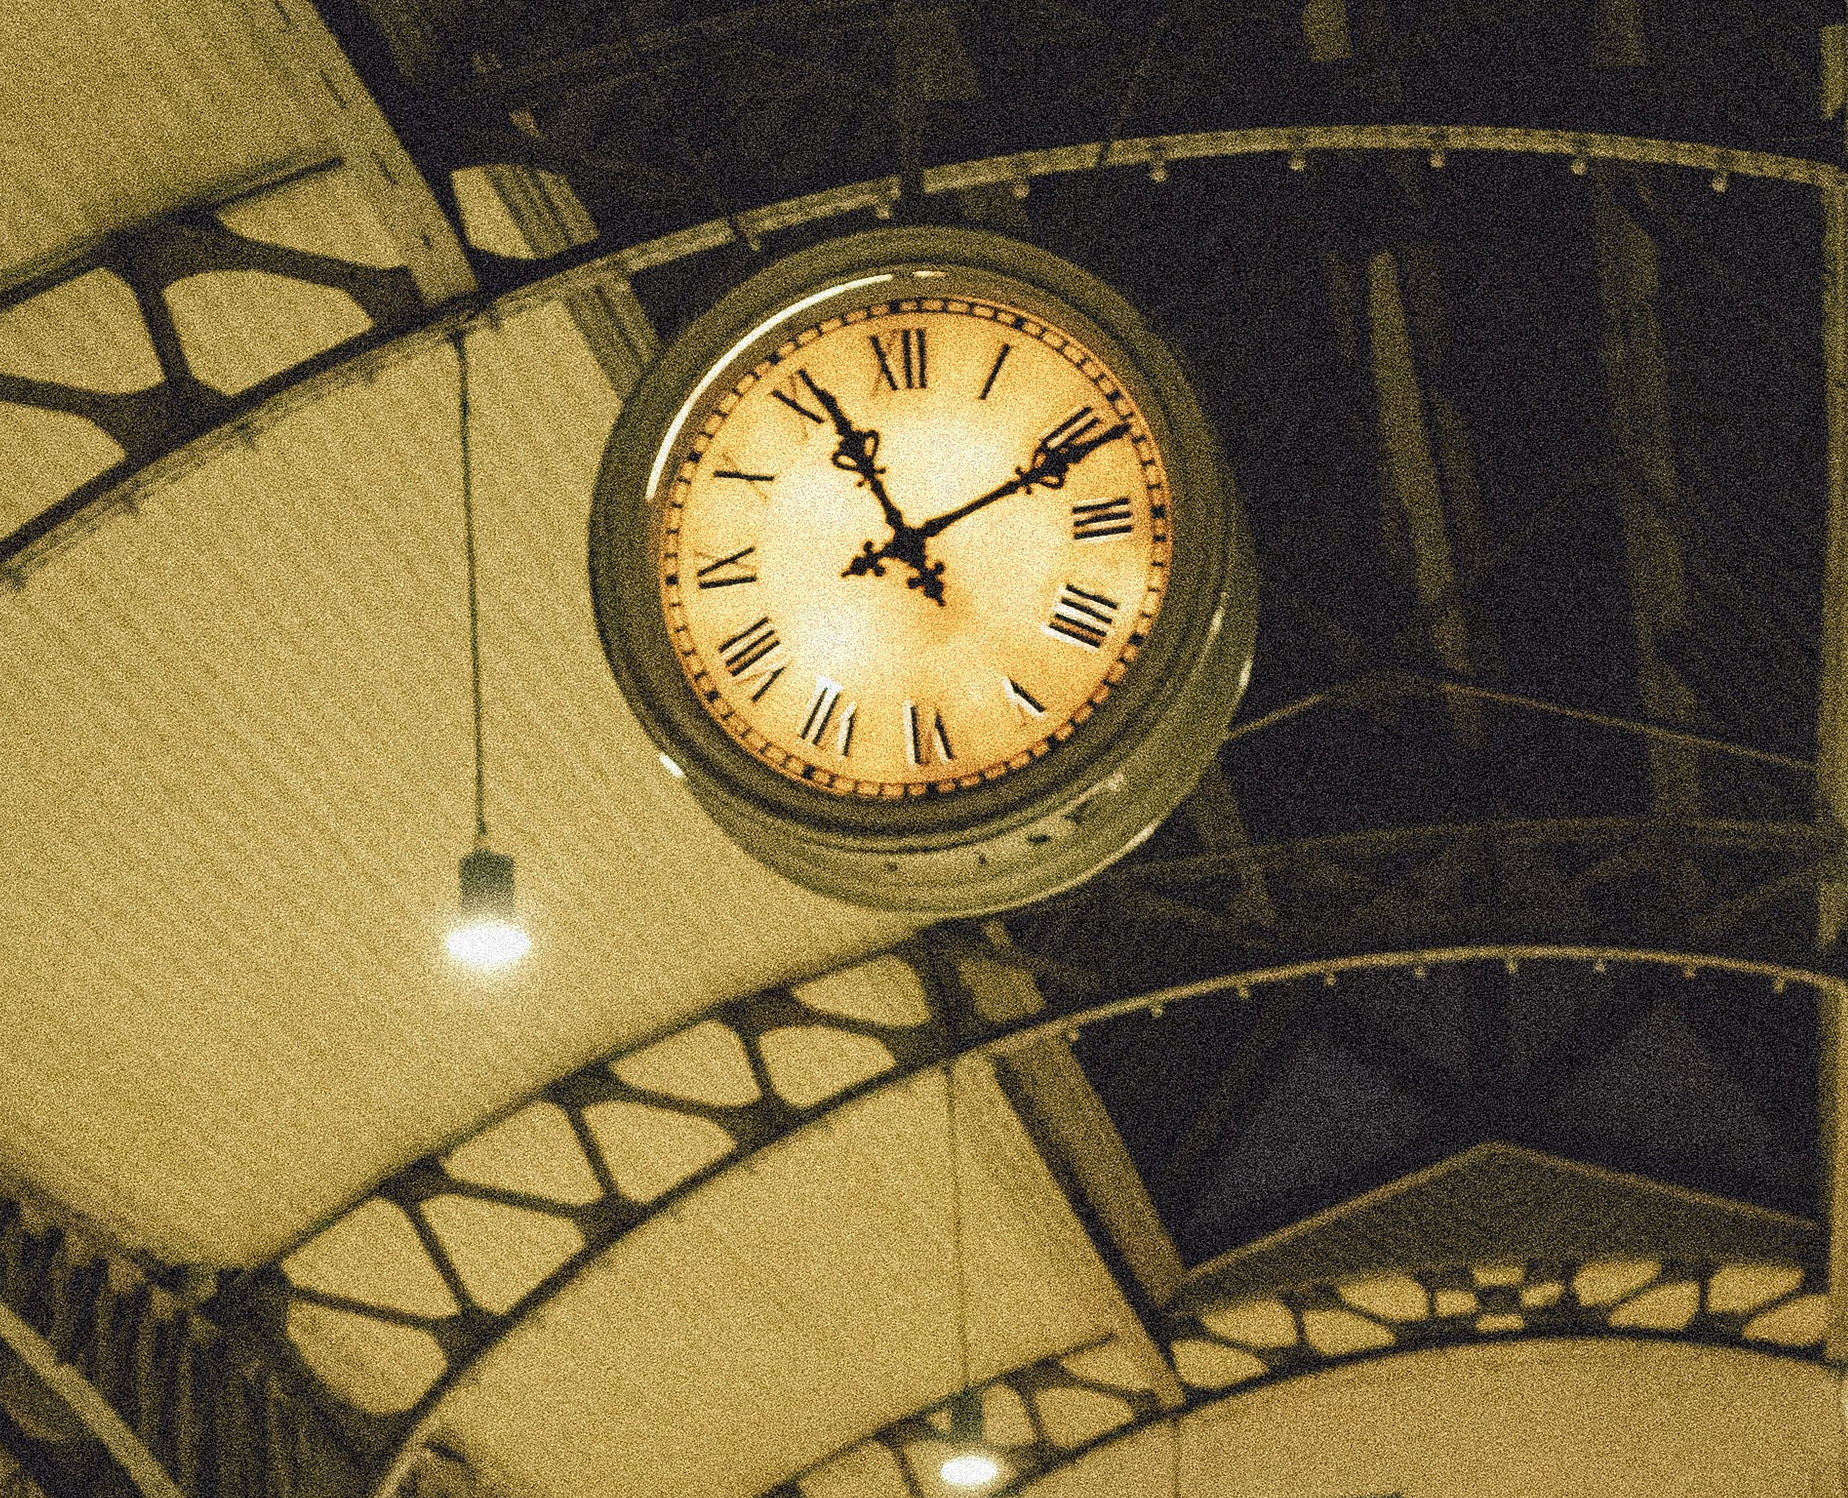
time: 11:10
